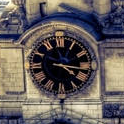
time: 4:16
